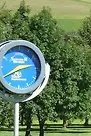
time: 2:39
